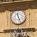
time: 11:26
